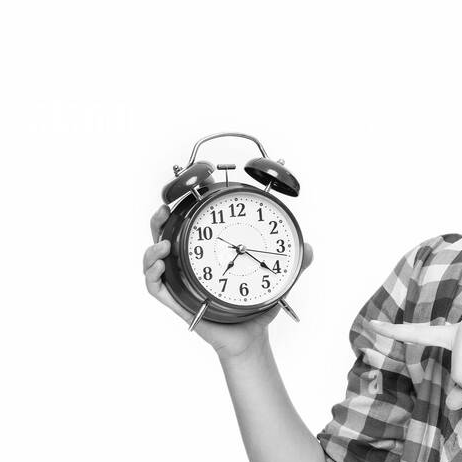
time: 7:21
